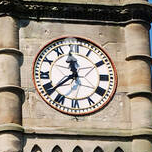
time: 11:38
